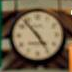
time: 4:53
